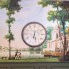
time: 6:28
